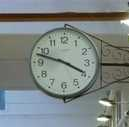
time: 3:47
